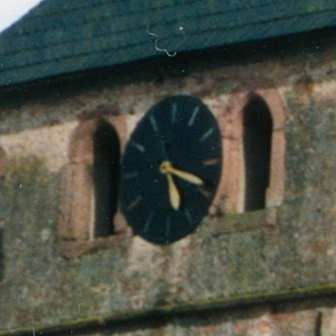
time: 5:18
